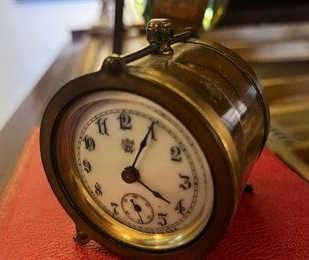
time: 4:04
